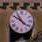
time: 10:50
